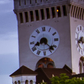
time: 8:22
